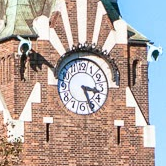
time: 3:26
